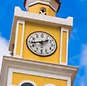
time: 1:43
